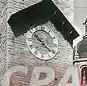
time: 10:21
